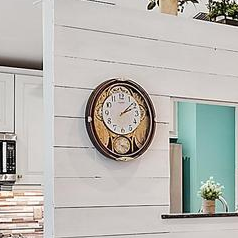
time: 2:08
